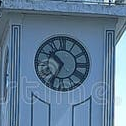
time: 10:34
